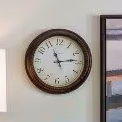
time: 11:13
